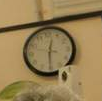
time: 12:29
